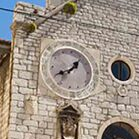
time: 1:40
